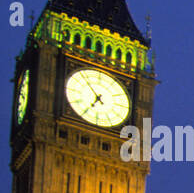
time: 6:53
